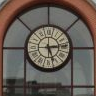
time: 5:14
